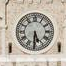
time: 5:31
